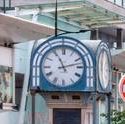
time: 11:12
